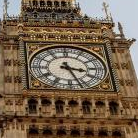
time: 3:26
